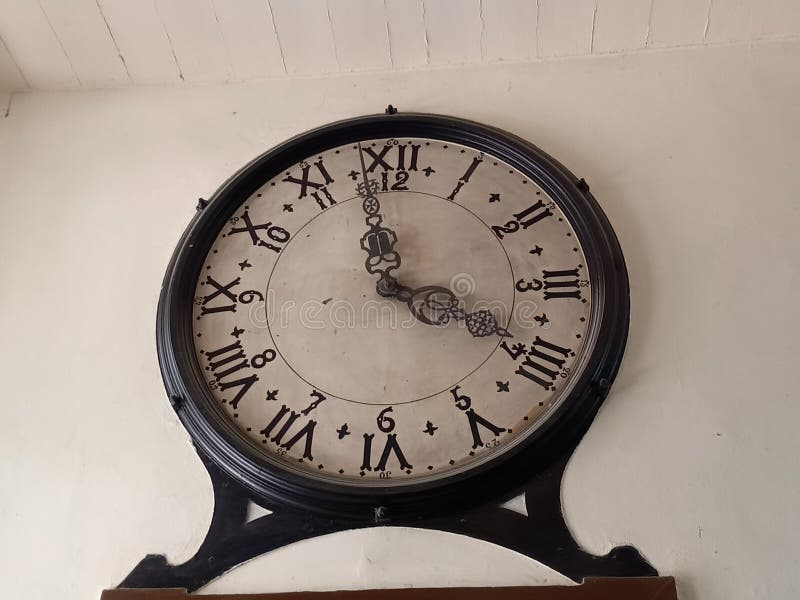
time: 3:58
